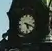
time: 5:18
